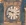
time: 9:47
